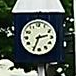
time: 2:34
